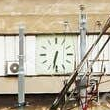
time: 6:32
